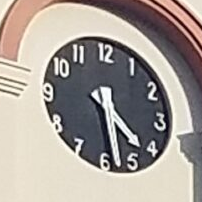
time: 4:28
